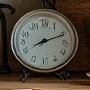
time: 8:11
